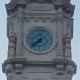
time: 7:37
